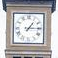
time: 1:14
